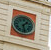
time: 1:28
